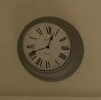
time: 12:41
